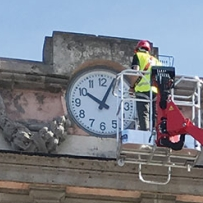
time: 10:04
